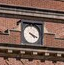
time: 4:18
